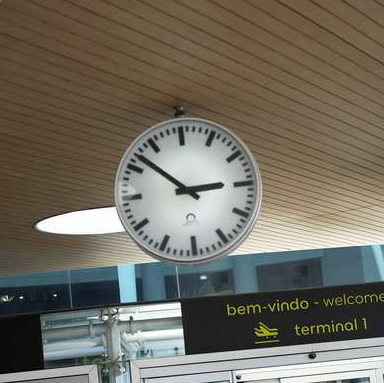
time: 2:52
